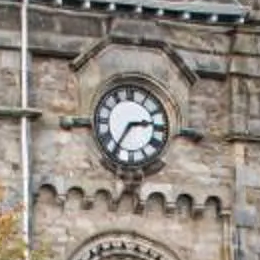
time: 2:35
